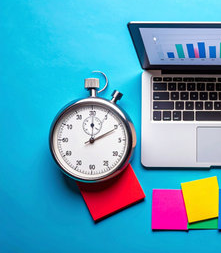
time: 12:10
